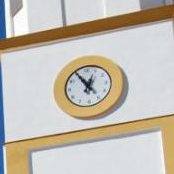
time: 12:54
